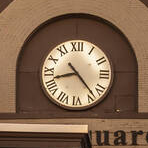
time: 8:23
